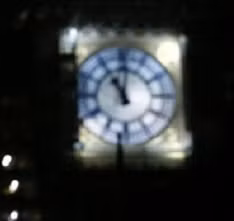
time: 11:01
